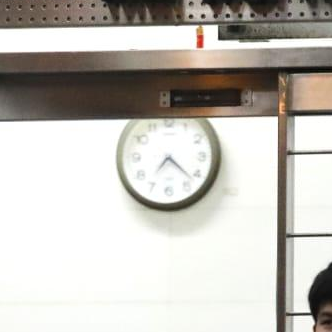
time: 7:22
